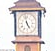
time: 4:57
